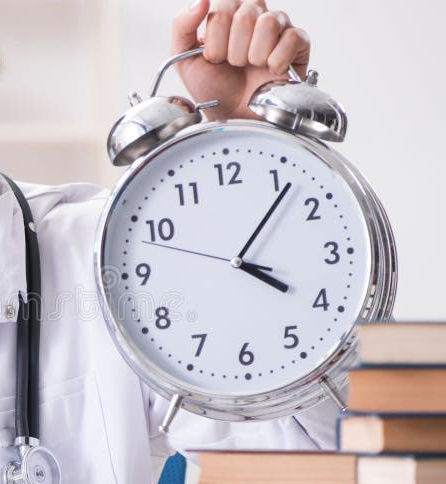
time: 4:06
